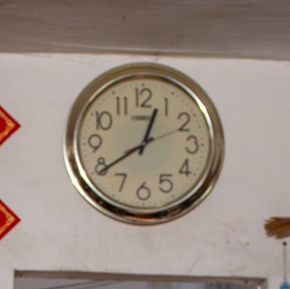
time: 12:39
